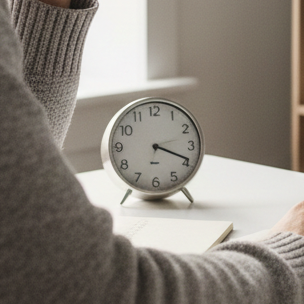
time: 3:18
